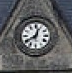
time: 12:40
